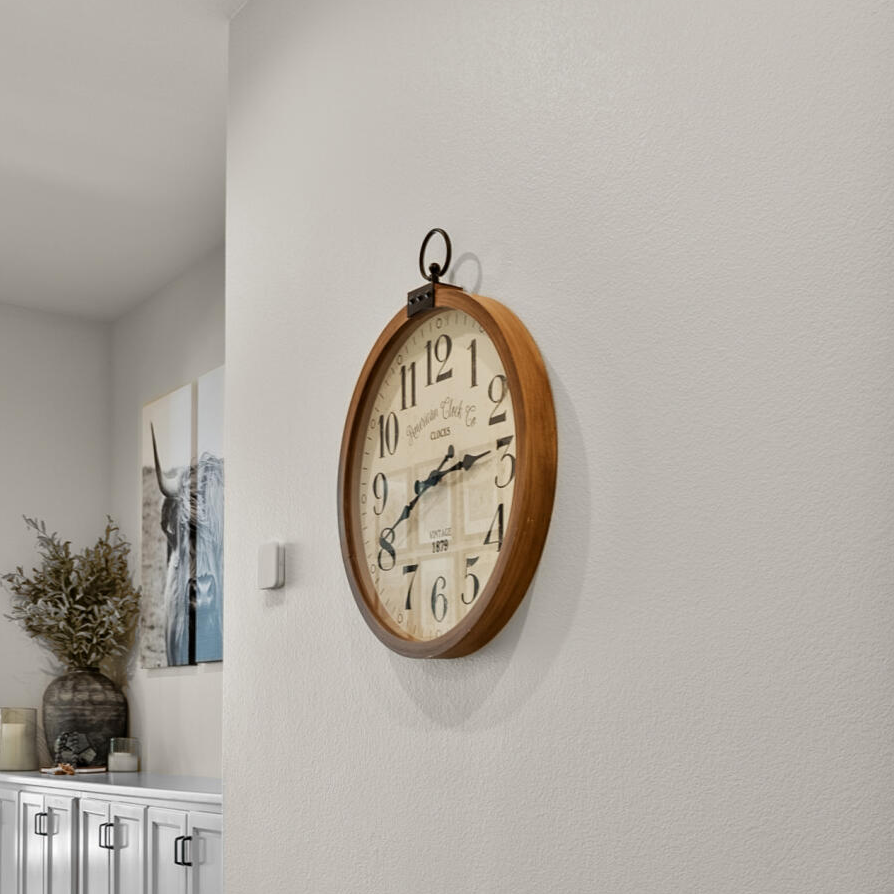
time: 8:14
